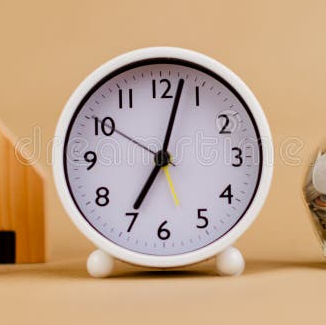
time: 7:02
